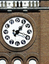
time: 1:18
